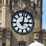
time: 3:02
